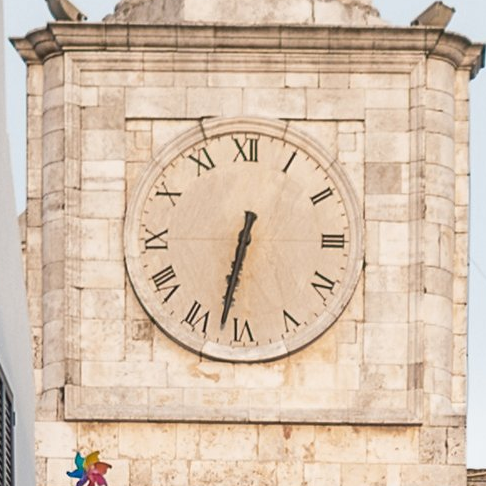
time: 6:32
